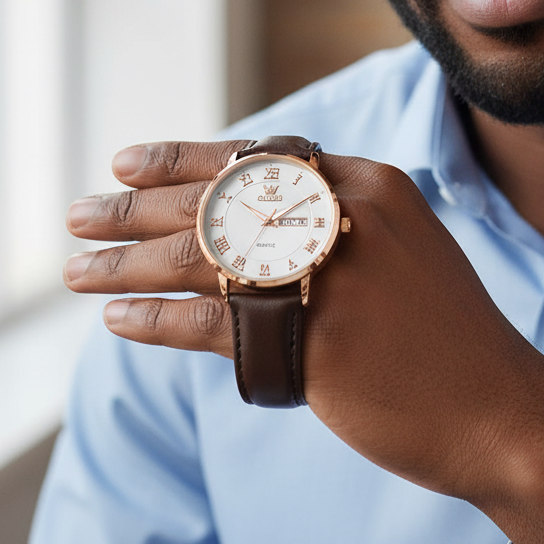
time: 3:09
